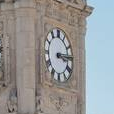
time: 3:14
